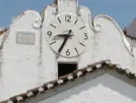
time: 8:34
